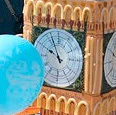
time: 9:56
